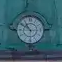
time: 10:50
